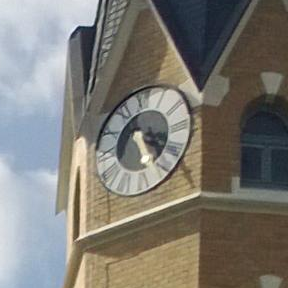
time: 5:18
